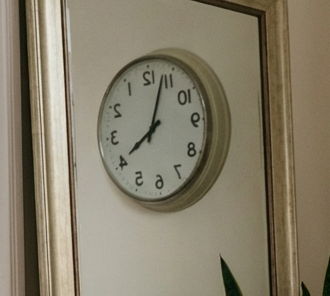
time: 8:03
